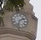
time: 2:32
